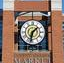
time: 1:32
